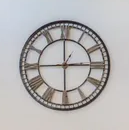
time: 2:59
